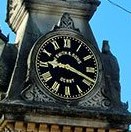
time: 9:18
